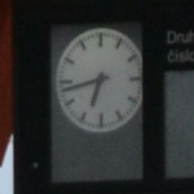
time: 6:43
